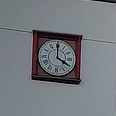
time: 3:59
